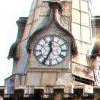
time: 11:34
